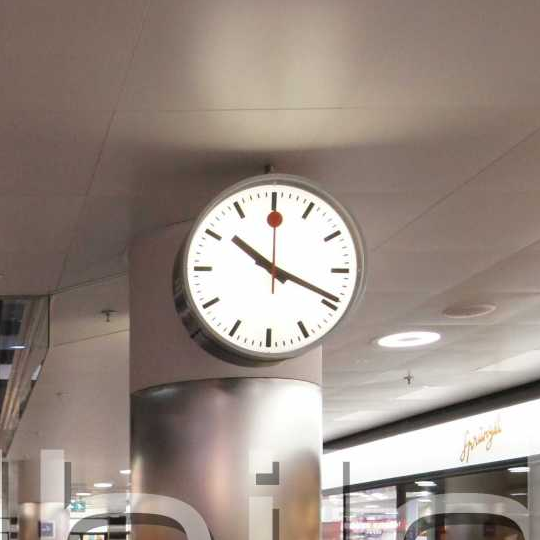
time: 10:18
